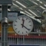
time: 12:21
